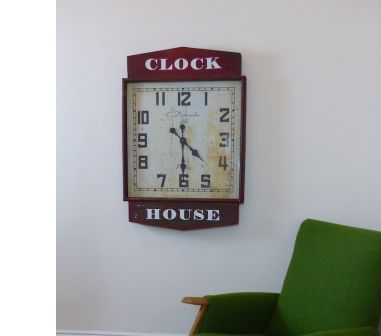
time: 4:30
